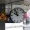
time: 9:56
